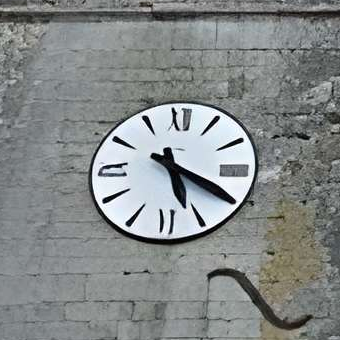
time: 5:19
